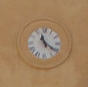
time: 11:21
